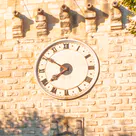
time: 7:50
